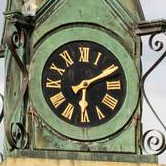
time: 6:10
